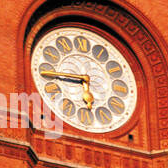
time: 5:44
